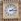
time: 2:15
